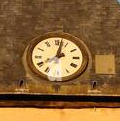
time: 8:02
